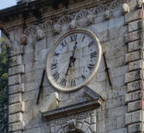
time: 12:33
